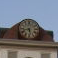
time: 5:42
